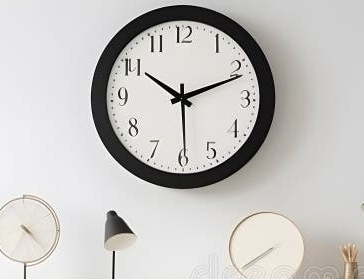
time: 10:11
